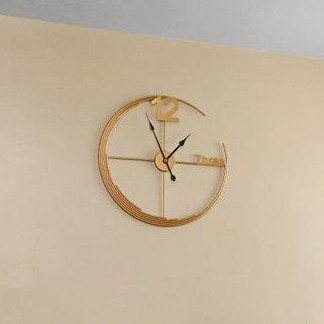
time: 1:56
